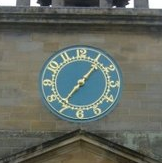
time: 7:06
